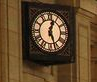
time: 12:26
